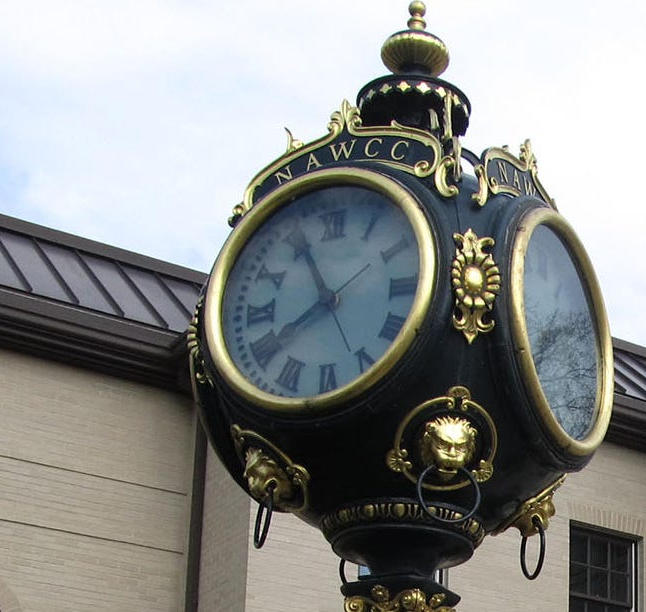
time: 7:55
